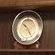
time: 10:24
